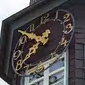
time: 7:52
